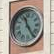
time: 11:24
